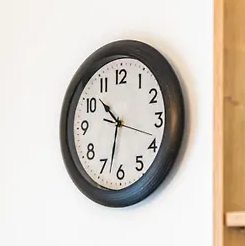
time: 10:32
